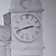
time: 2:42
